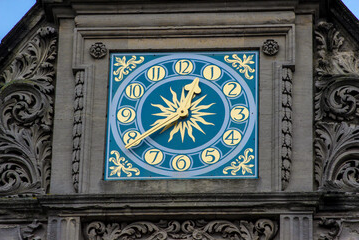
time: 12:39
